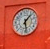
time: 1:28
